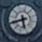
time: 5:40
